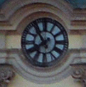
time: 7:53
